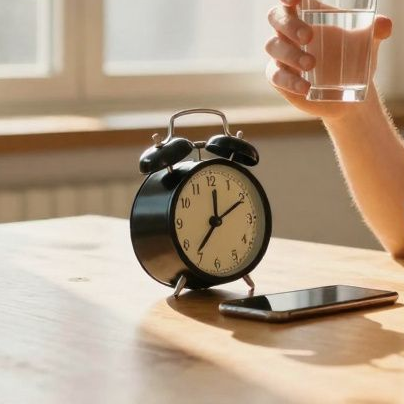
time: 12:10
